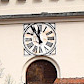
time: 11:54
